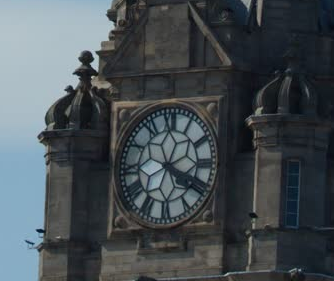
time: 4:19
